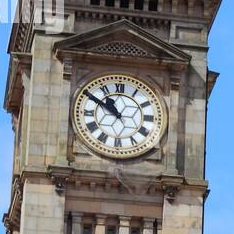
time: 10:50
